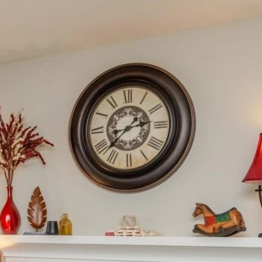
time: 2:37
